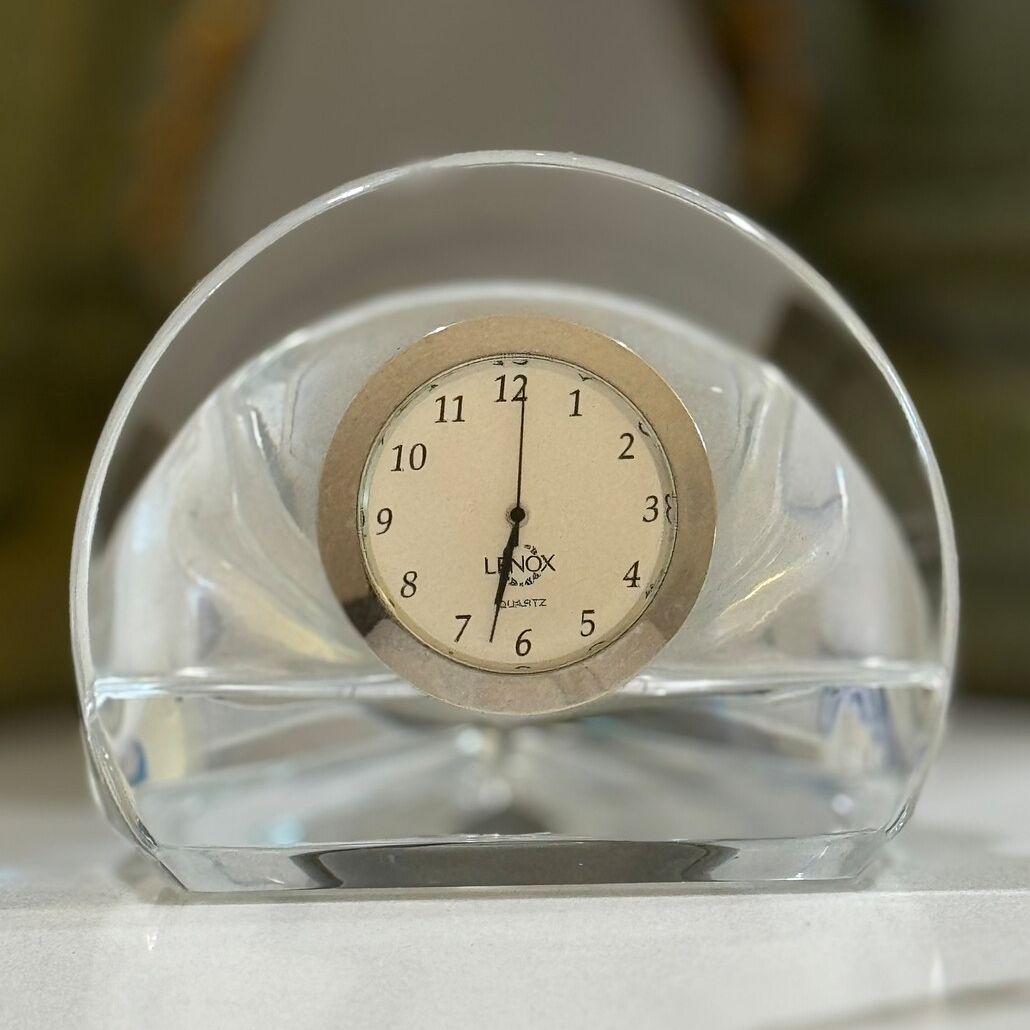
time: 6:32
